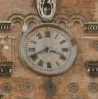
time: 3:40
